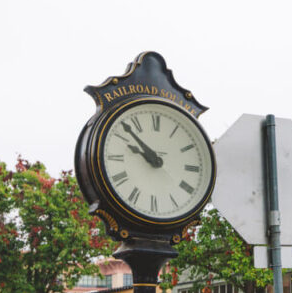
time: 9:52
